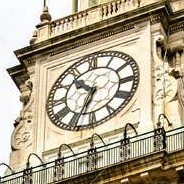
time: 10:34
